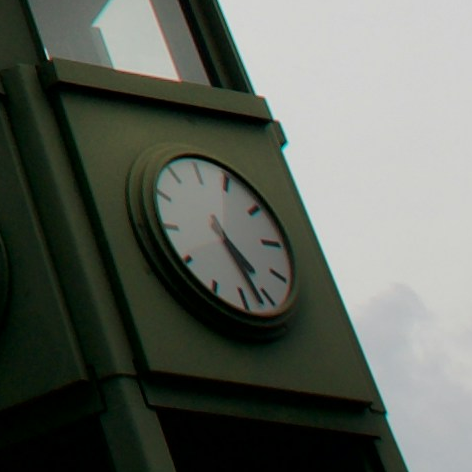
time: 4:26
